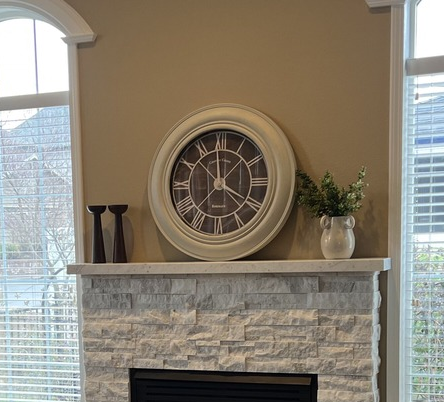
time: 3:59
